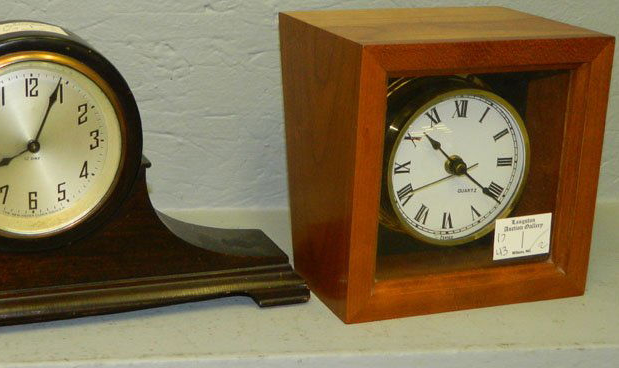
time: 10:21
